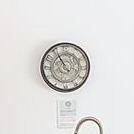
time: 10:55
